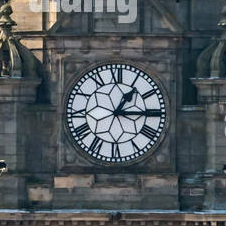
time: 1:14
